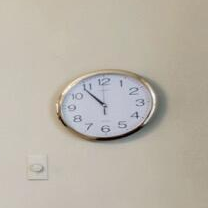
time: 10:54
